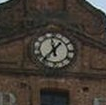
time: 11:36
